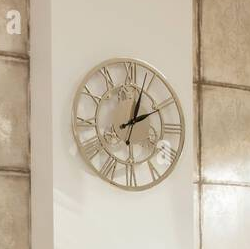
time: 2:03
